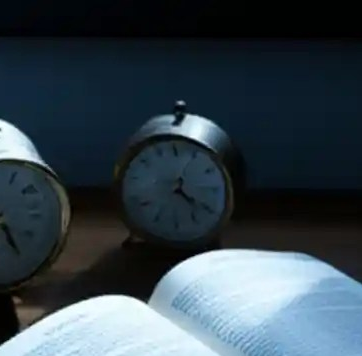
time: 4:20
